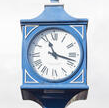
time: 11:17
